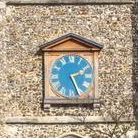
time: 2:26
